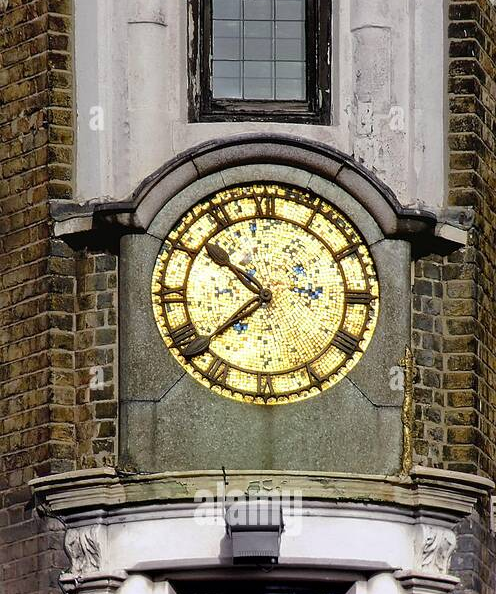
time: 7:51
